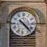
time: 4:22
